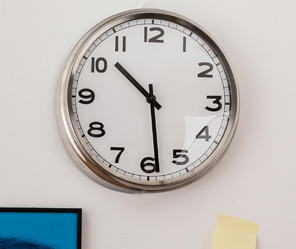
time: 10:28
